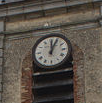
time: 12:04
